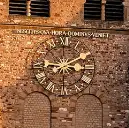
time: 9:10
